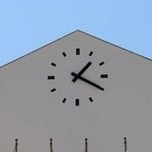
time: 1:19
